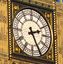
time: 2:25
